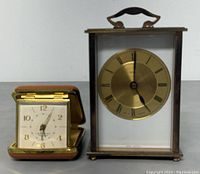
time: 5:00
